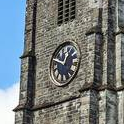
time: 12:49
